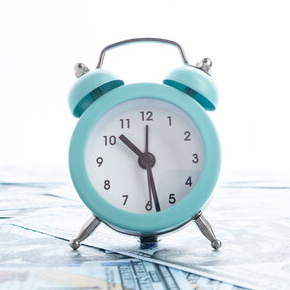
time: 10:28
